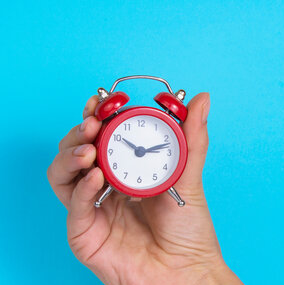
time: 10:12
